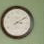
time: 3:09
